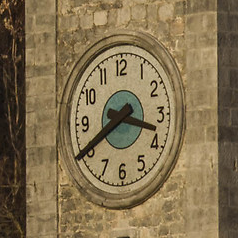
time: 3:40
